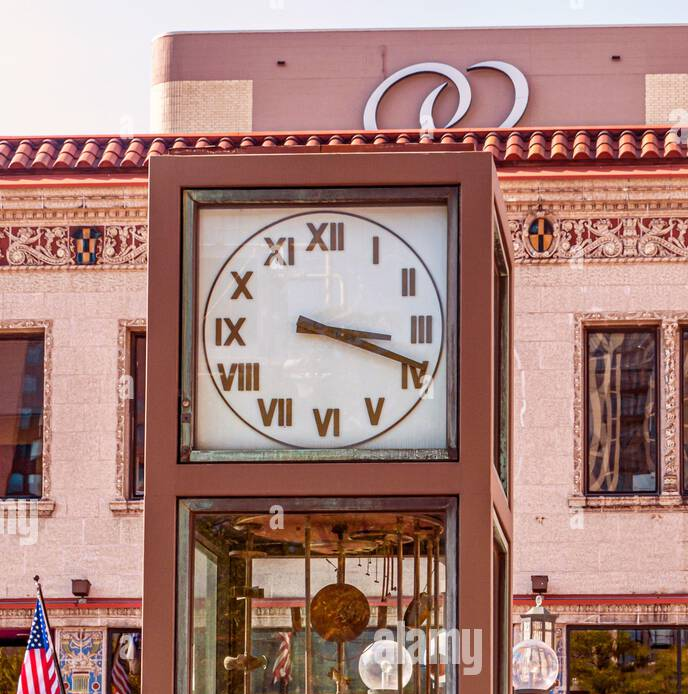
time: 3:18
